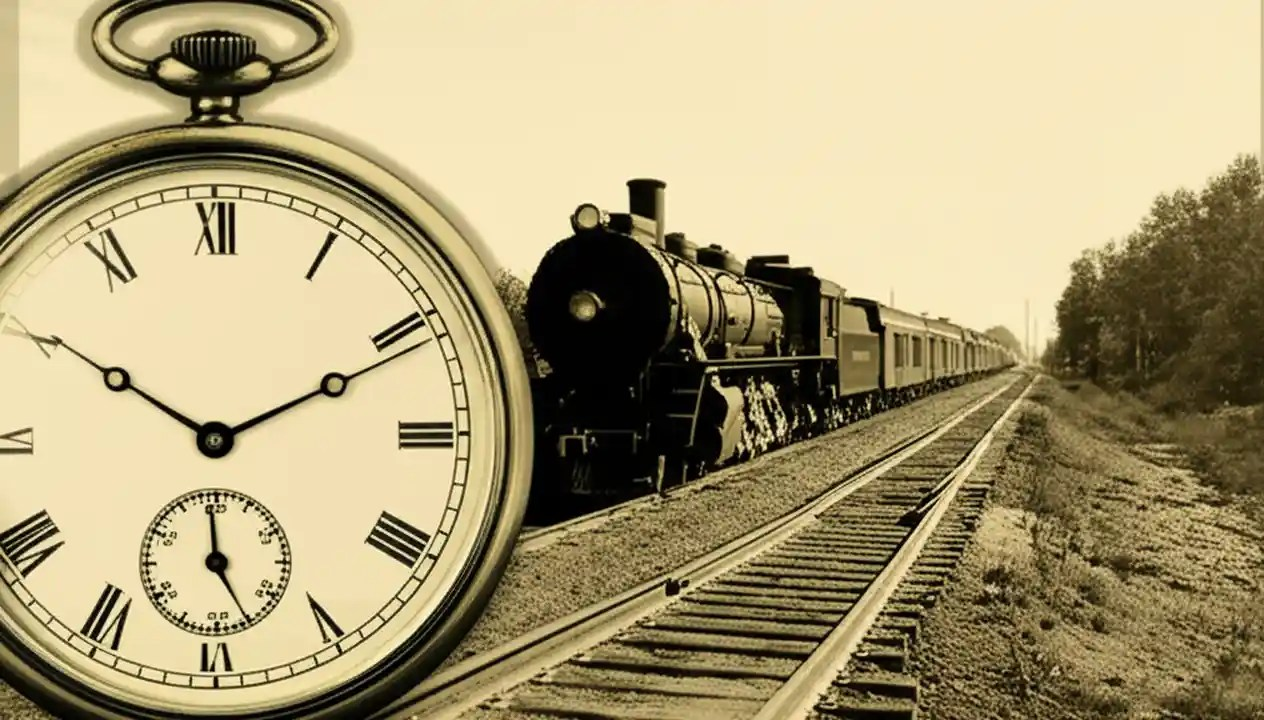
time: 10:10
